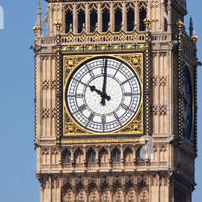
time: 10:00
